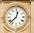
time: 12:37
